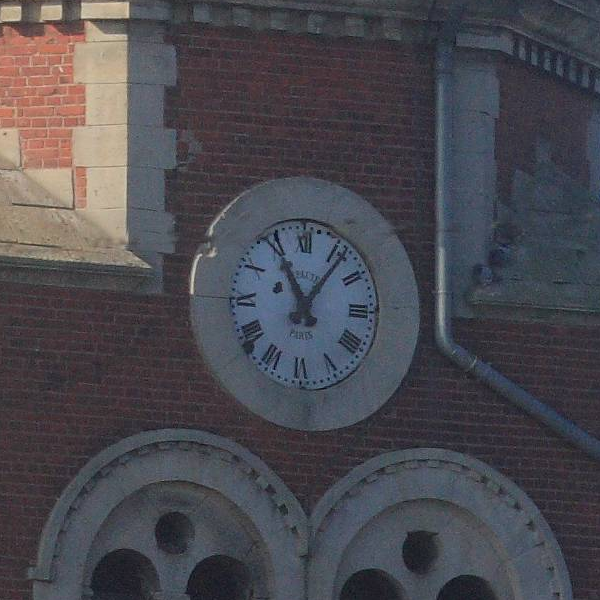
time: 11:06
